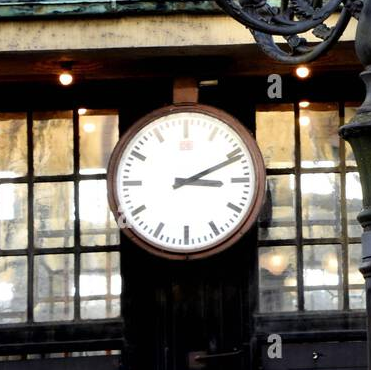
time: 3:11
